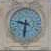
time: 9:32
